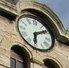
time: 6:09
